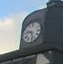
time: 9:28
